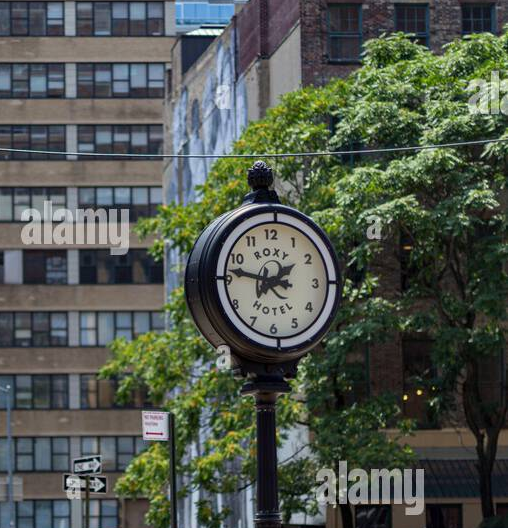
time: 1:46
